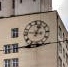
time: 3:04
